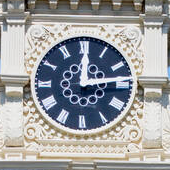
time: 12:13
